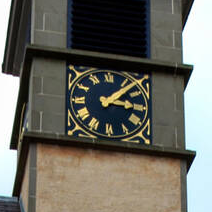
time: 3:07
